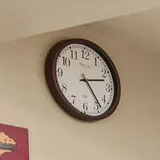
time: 2:23
